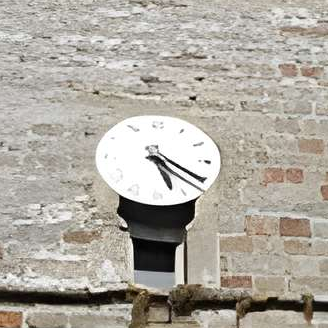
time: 5:20
